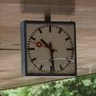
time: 10:28
